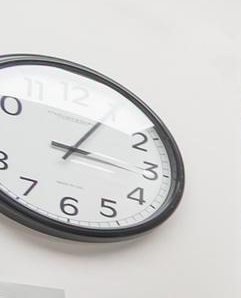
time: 3:04
